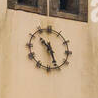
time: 10:26
